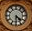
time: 4:30
